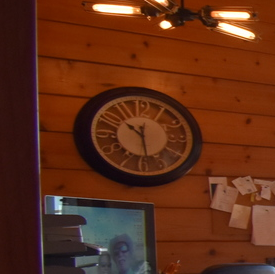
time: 10:28
